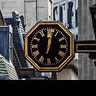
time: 12:02
